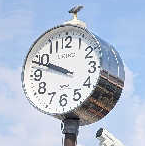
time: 9:48
